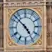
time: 4:52
